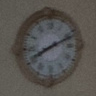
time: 8:11
